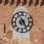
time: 7:24
